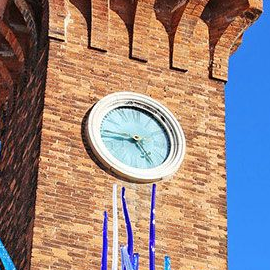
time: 4:43
